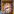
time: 8:12
